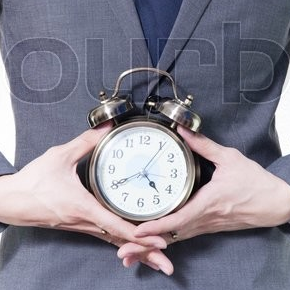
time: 4:40
